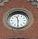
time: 11:30
